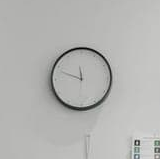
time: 11:48
